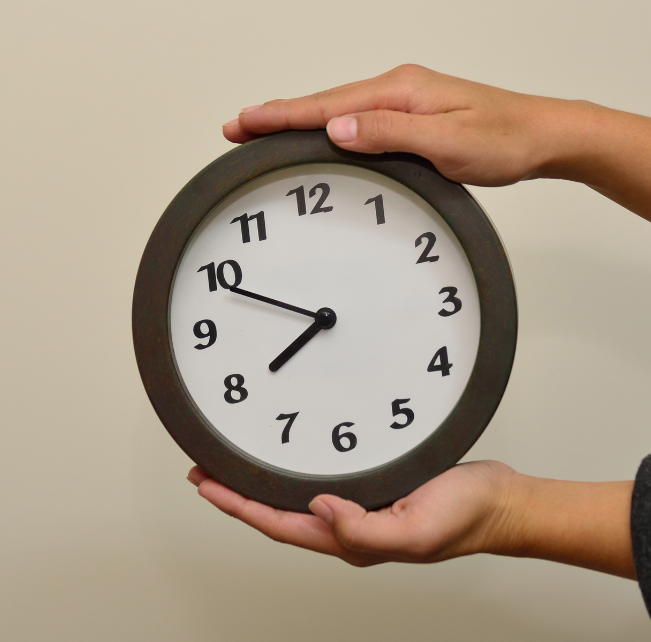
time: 7:49
